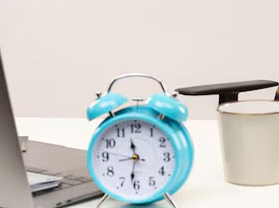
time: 11:31
